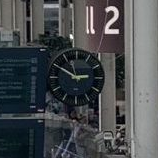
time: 2:50
